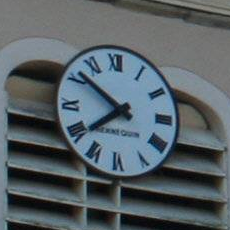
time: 7:51
